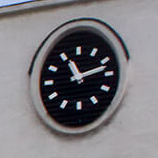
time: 11:12
